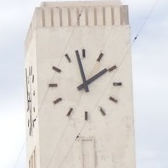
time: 1:58
